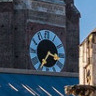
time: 3:35
